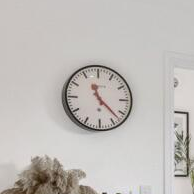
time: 11:22
